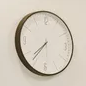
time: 7:36
